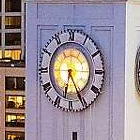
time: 6:25
